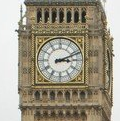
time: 3:11
